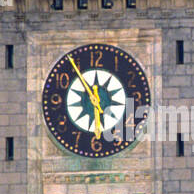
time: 1:28
